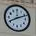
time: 8:11
